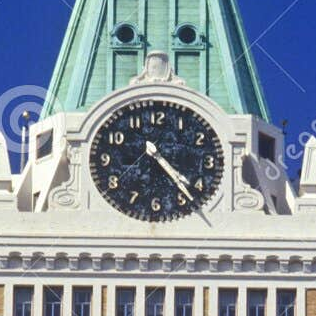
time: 4:23
